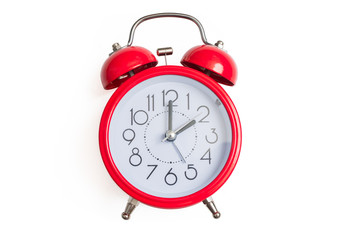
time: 2:00
